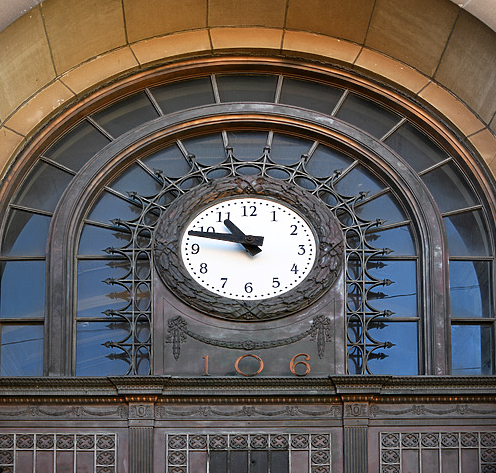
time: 10:47
